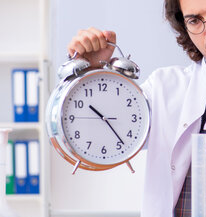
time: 10:23
